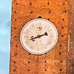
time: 8:11
